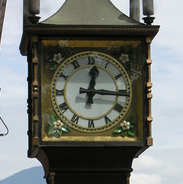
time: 12:15
